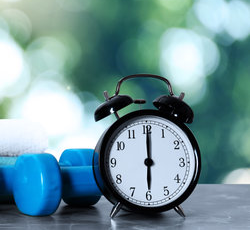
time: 6:00
